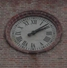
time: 2:08
